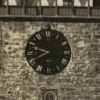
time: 9:40
